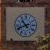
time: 10:41
